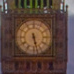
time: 5:27
